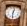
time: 12:31
